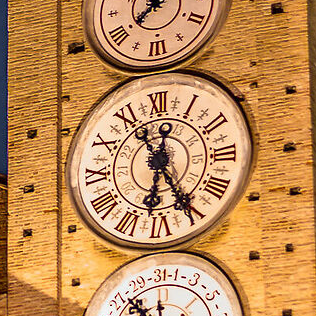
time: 6:25
